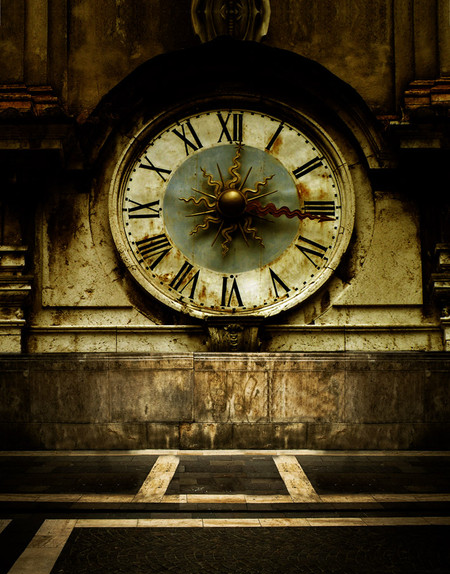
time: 12:16
